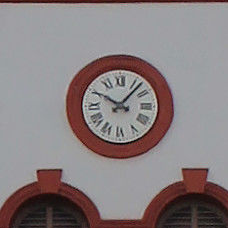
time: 10:07
